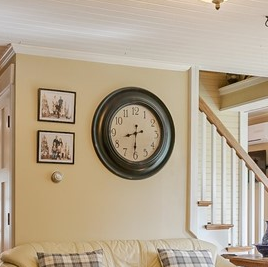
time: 8:30
